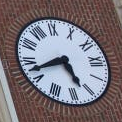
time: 5:42
